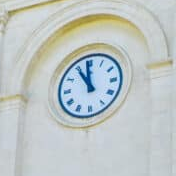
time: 10:59
